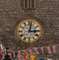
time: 3:02
